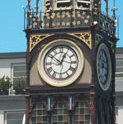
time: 12:51
